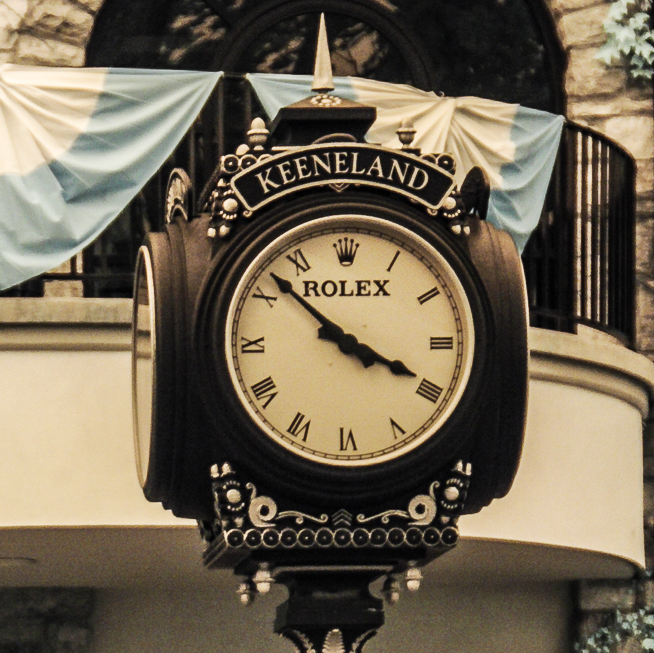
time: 3:51
